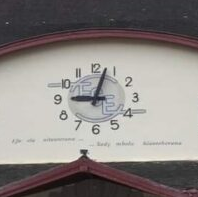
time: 9:03
